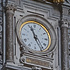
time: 11:25
